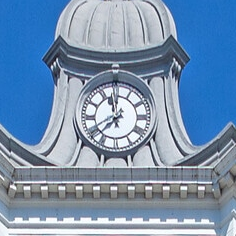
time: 11:37
